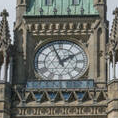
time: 1:56
